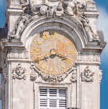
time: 3:40
